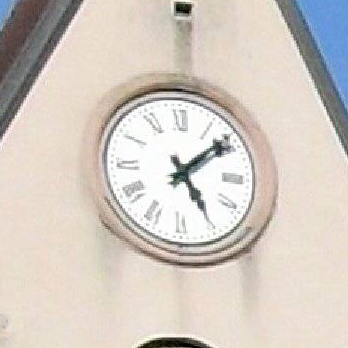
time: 5:08
